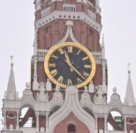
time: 11:22
